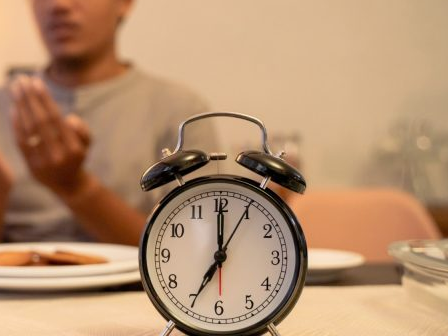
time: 7:00
